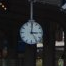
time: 3:01
